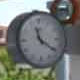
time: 11:20
